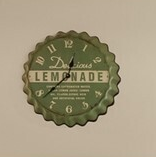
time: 12:38
